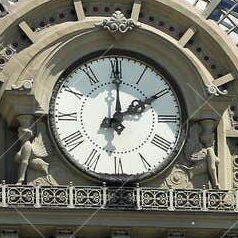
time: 2:00
